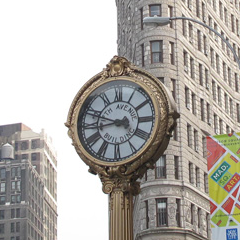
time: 8:48
